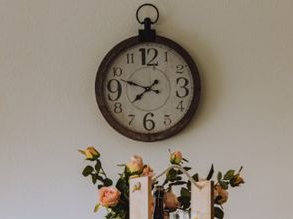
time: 7:47
